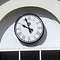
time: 9:56
